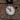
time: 11:52
